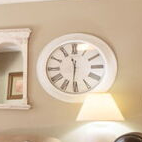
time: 11:31
